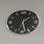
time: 1:28
